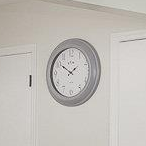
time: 1:50
